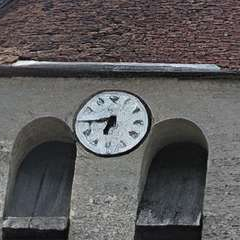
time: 6:44
